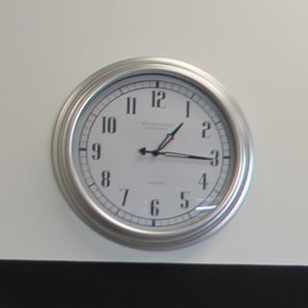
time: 1:15
